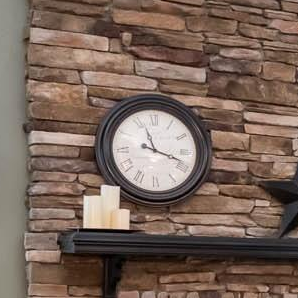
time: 11:18
